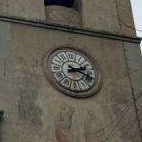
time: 2:18
